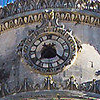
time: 7:22
